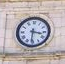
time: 3:30
